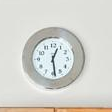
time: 12:28
